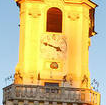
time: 3:48
